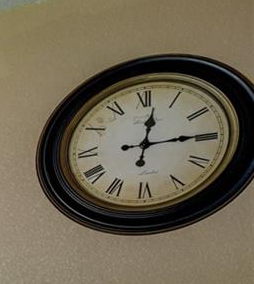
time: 12:14
